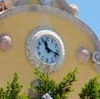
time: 11:18
